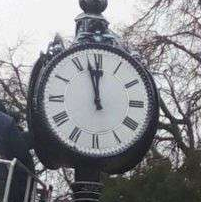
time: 11:57
